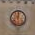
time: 6:01
